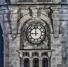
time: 11:44
